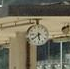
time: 5:38
